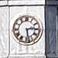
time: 2:28
